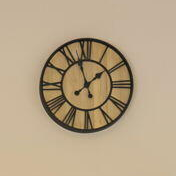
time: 1:57
